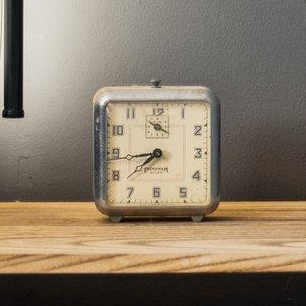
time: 7:43
